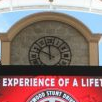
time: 11:49
